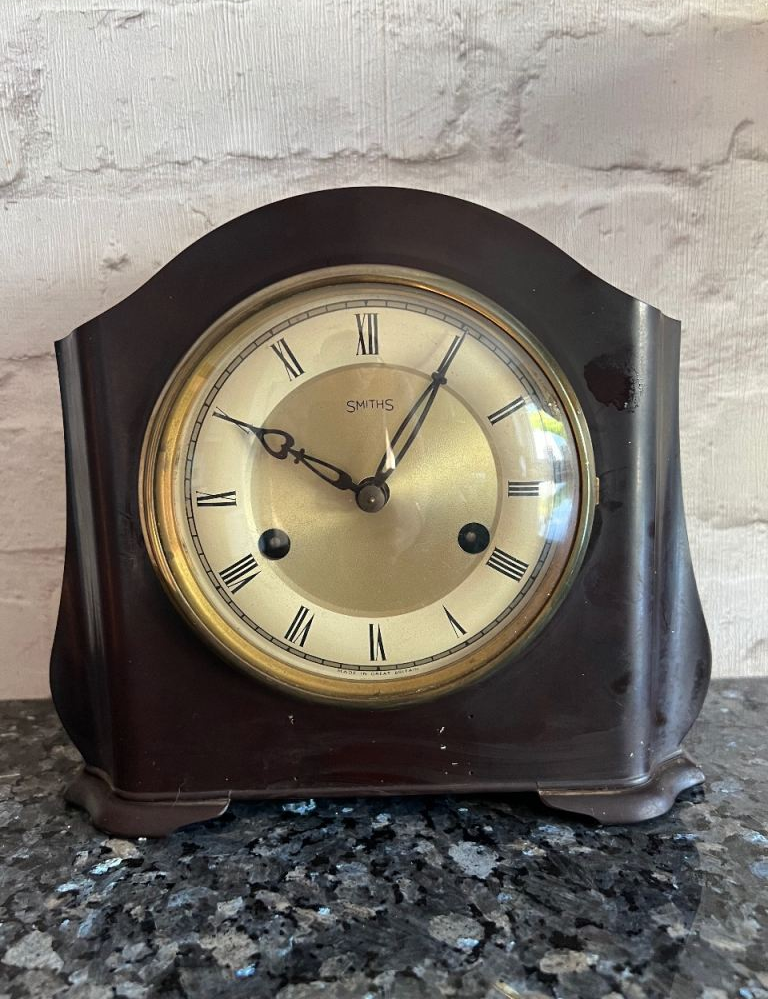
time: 10:04
